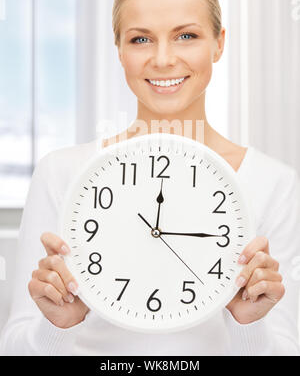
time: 12:15
